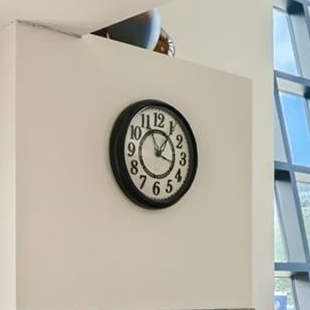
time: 1:18
